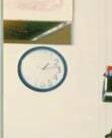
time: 1:13
